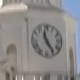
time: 11:24
